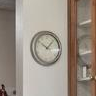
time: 10:07
